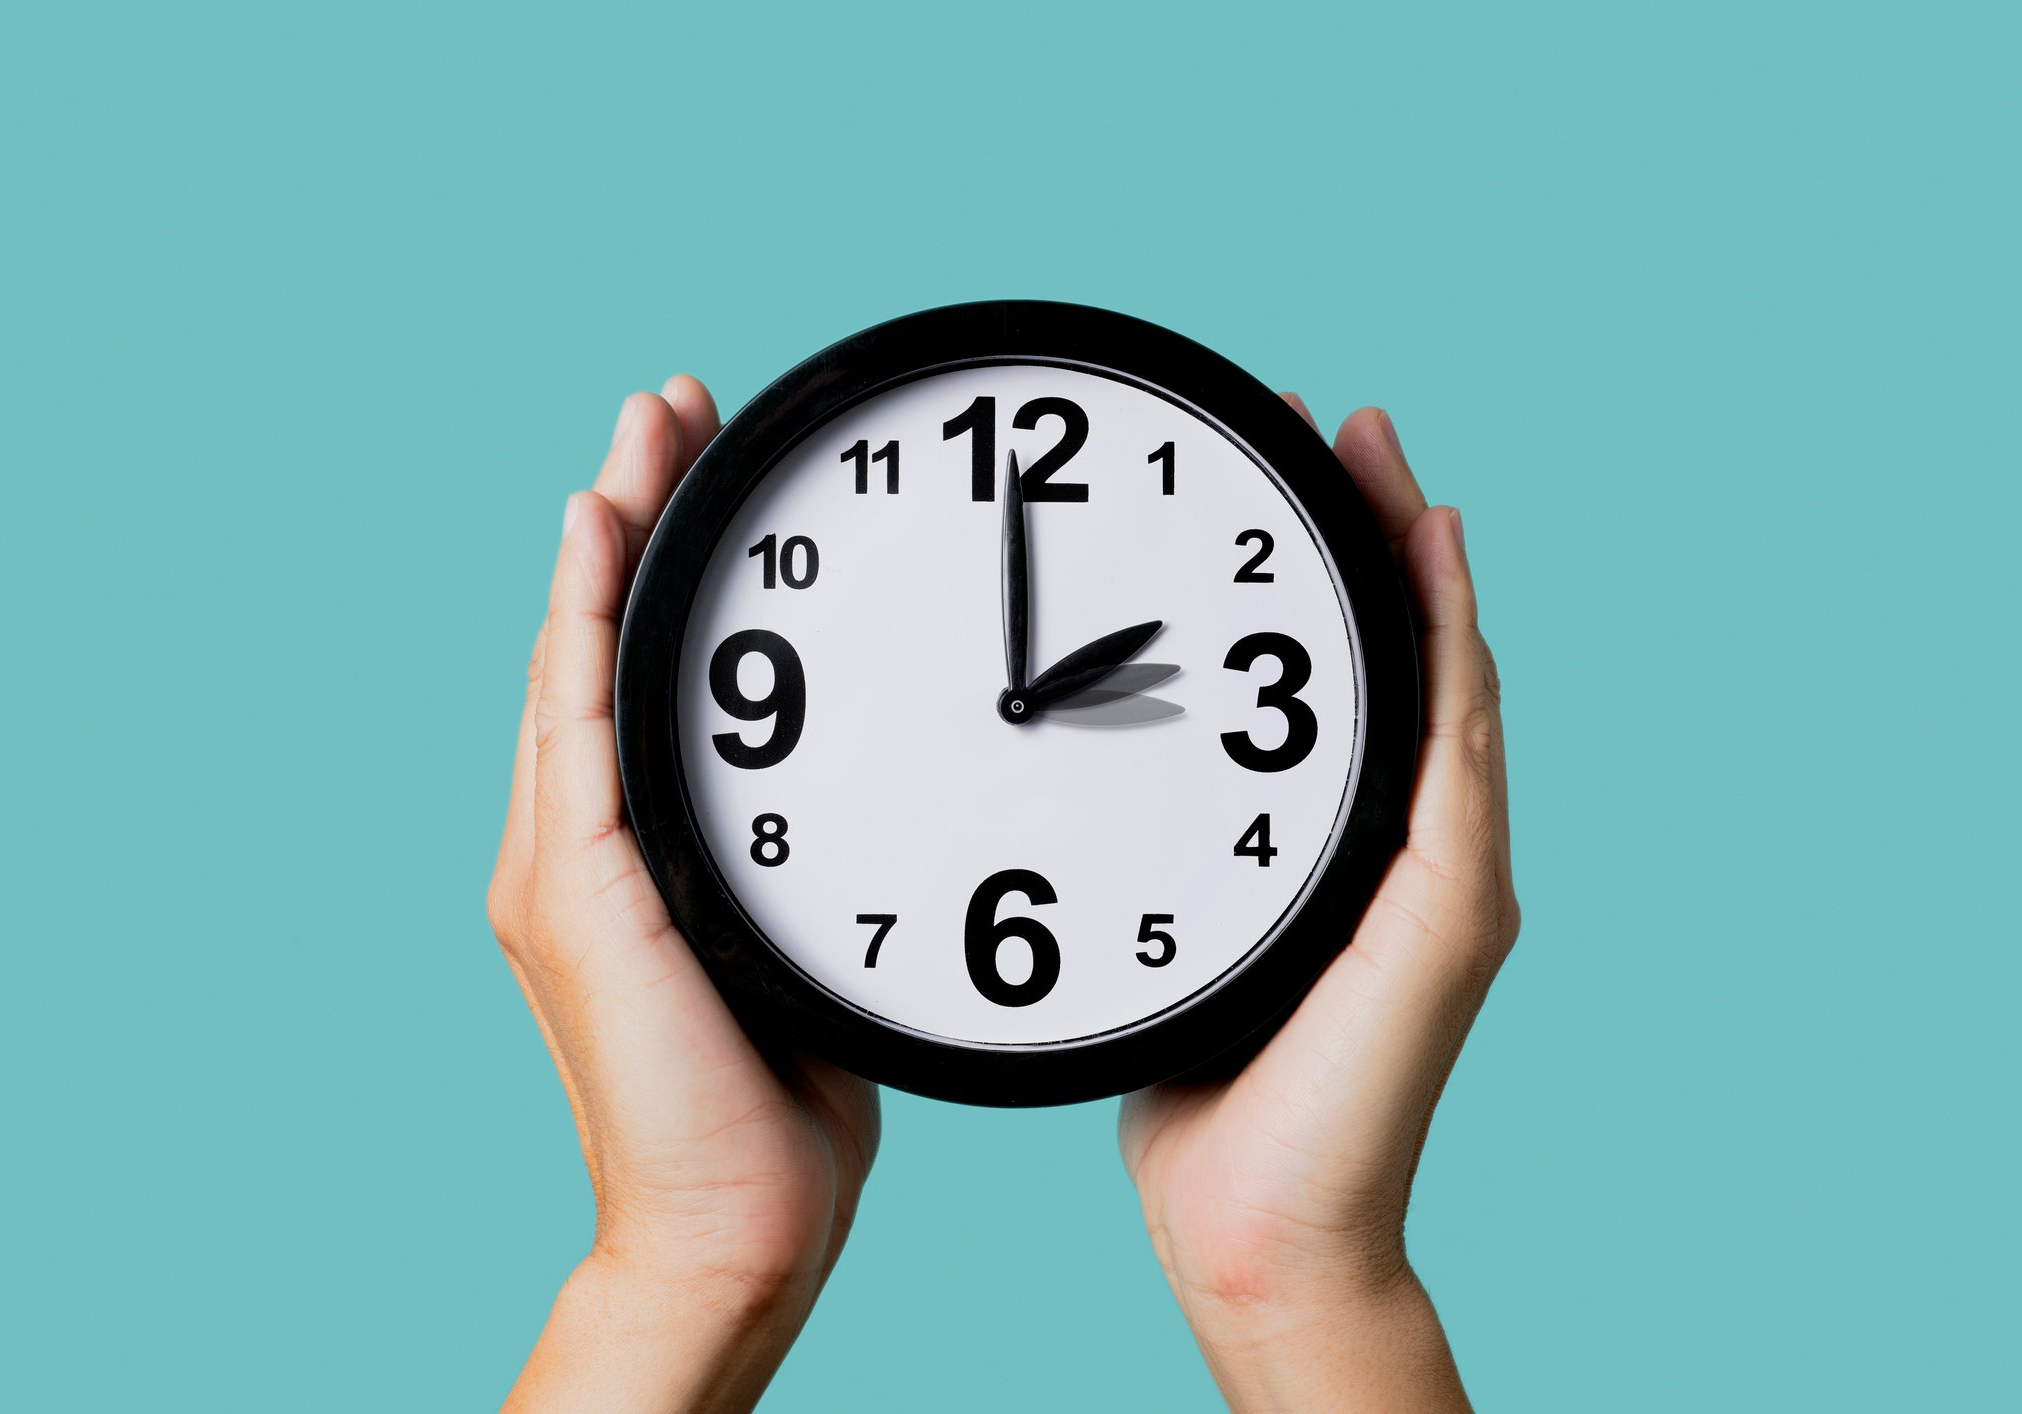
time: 1:59
